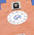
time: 7:07
